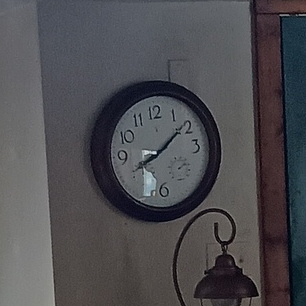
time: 8:08
